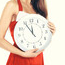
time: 11:54
